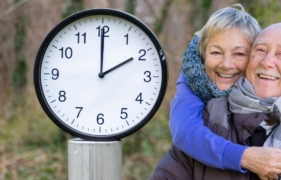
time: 1:59
